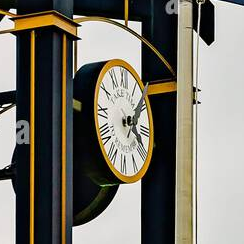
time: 1:18
